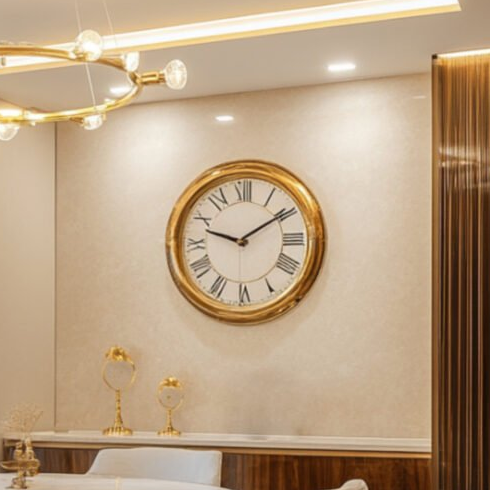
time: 9:09
